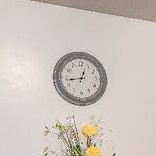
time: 12:43
